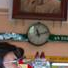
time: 11:12
